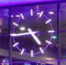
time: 4:44
